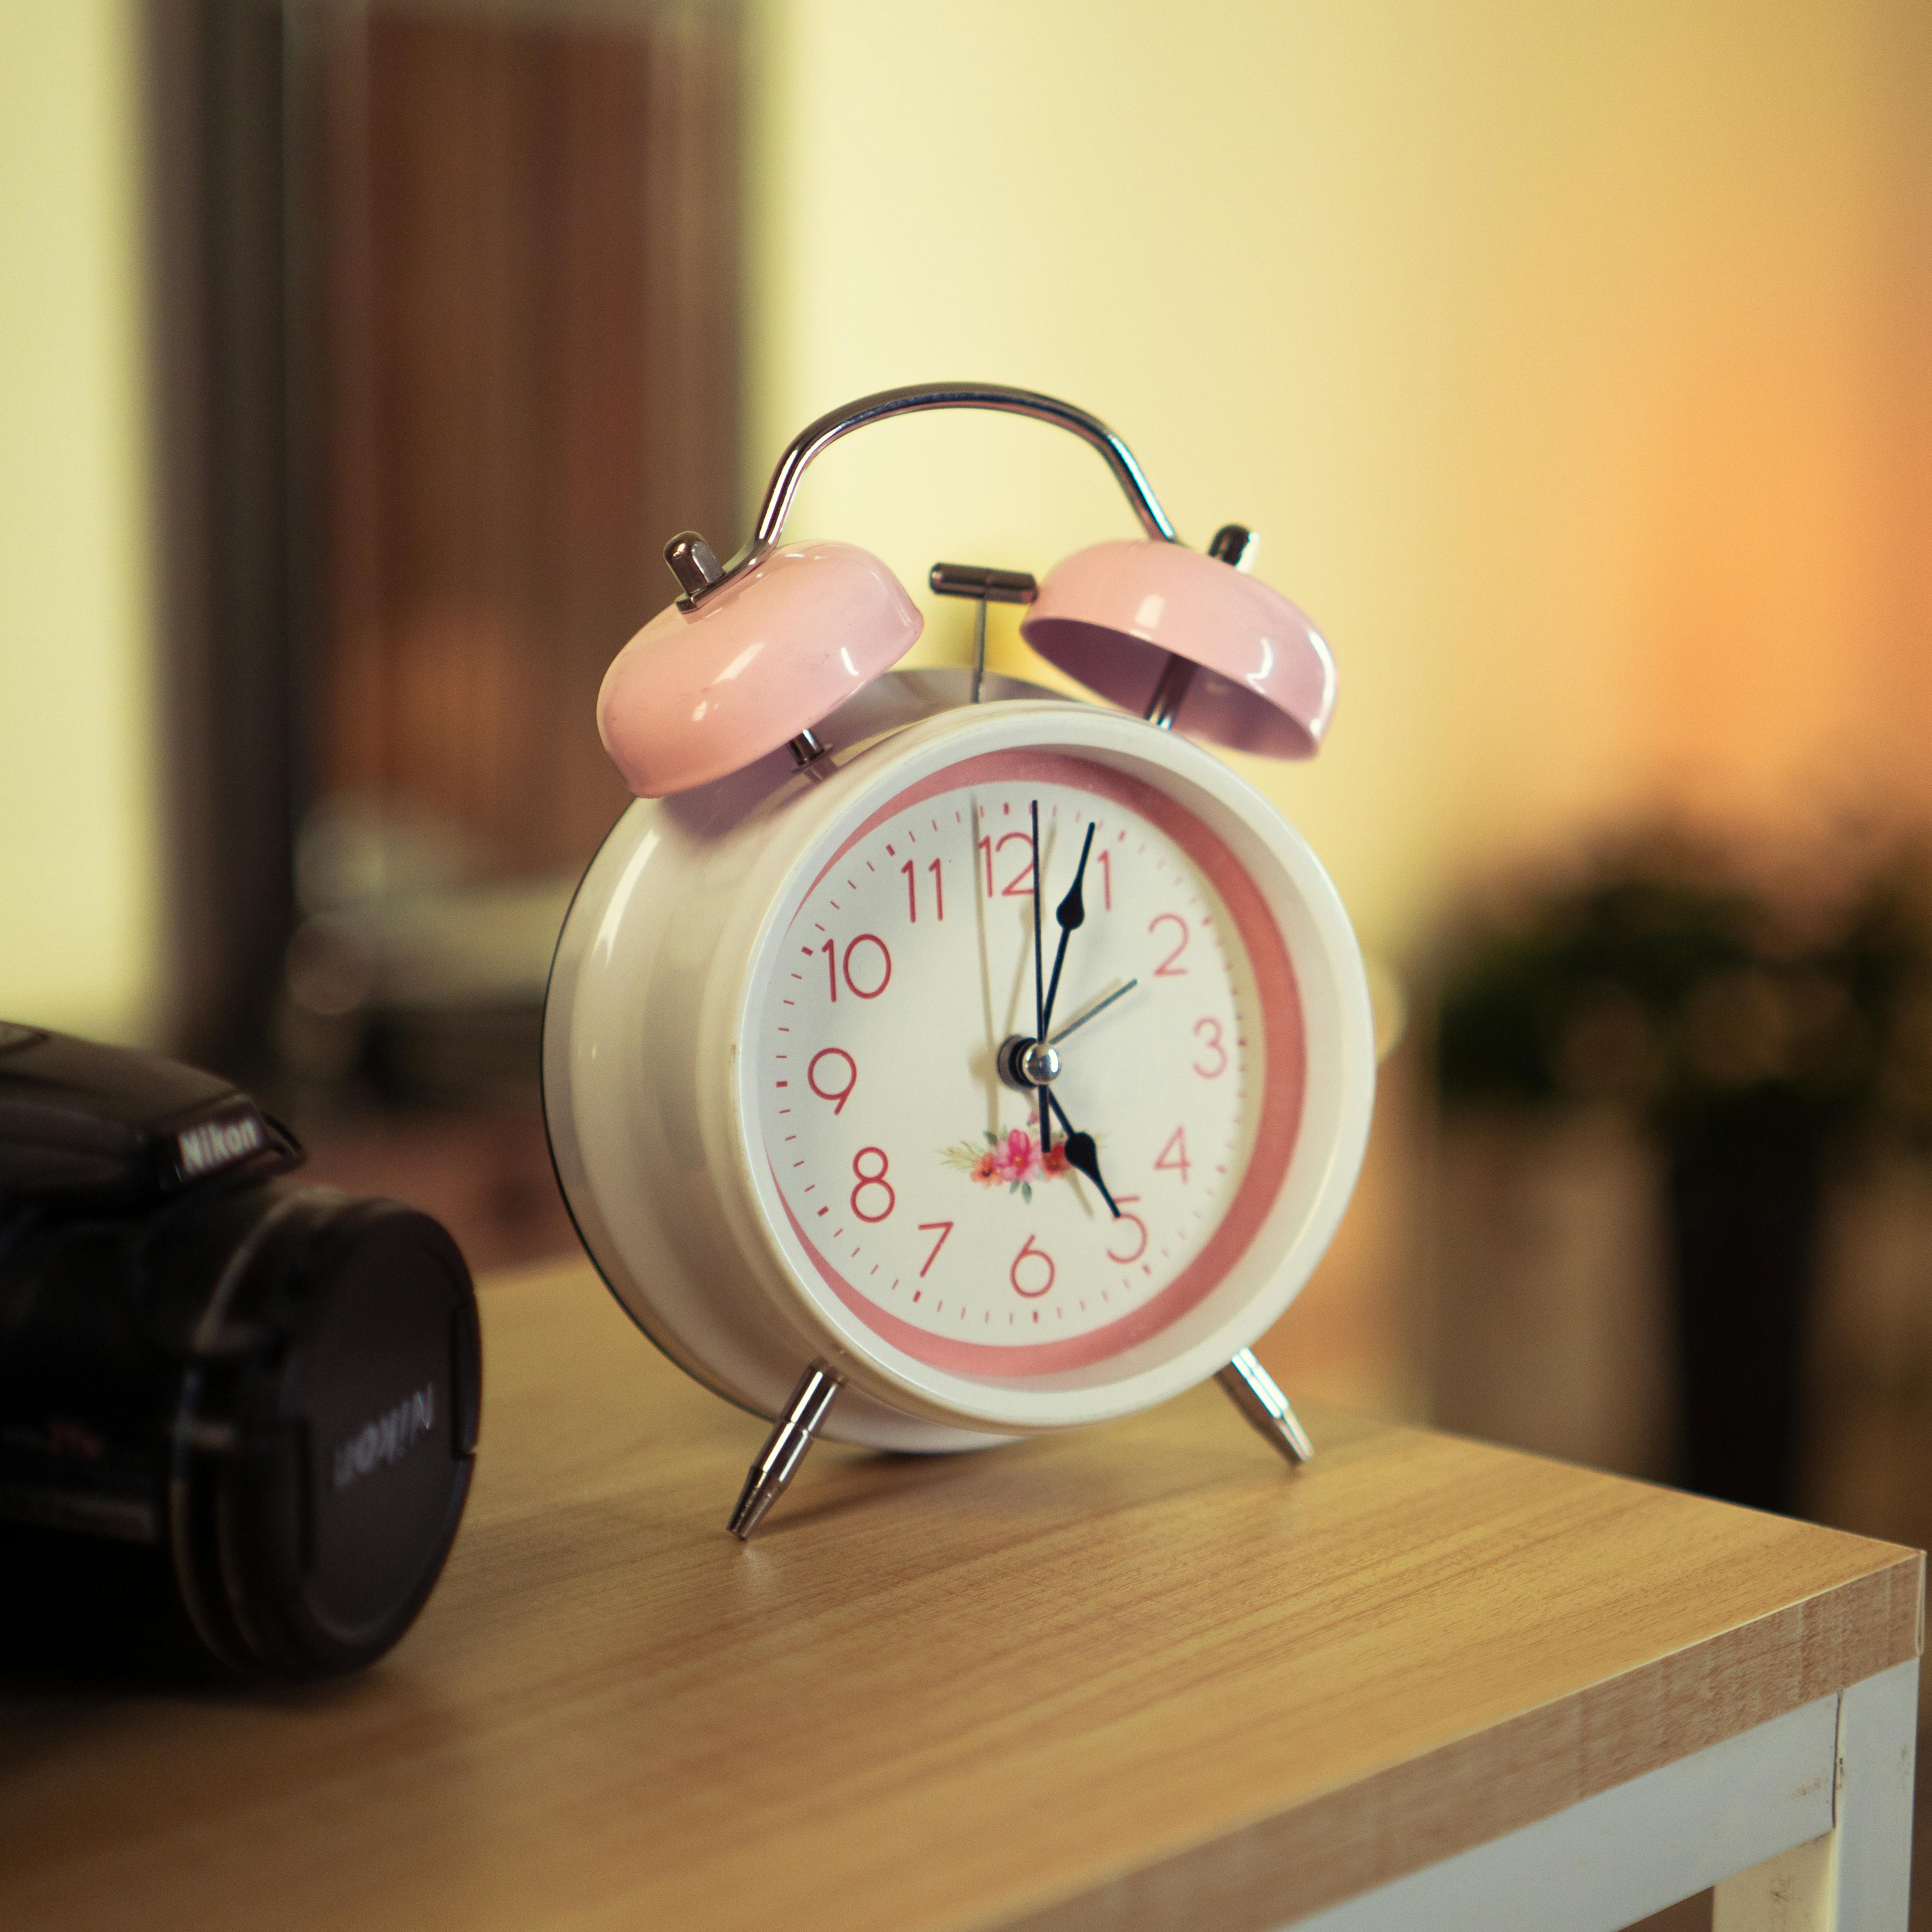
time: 5:03
